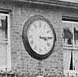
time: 3:14
